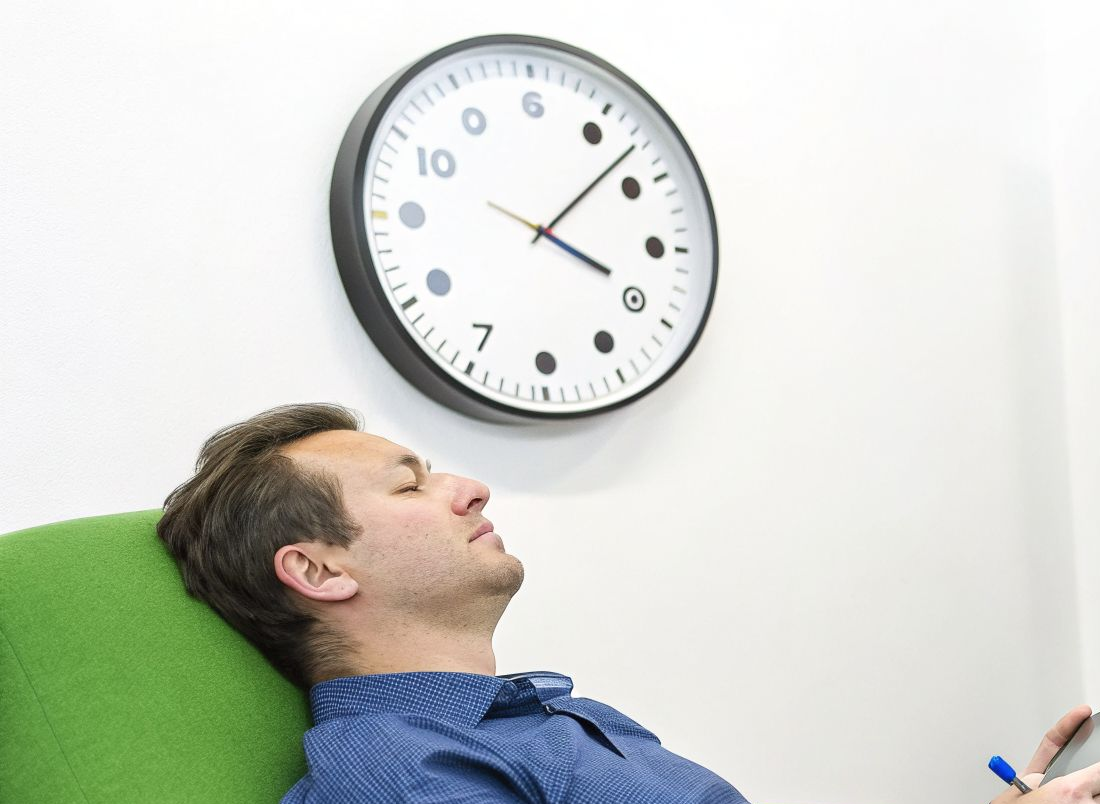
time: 4:07
